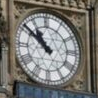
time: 10:51
